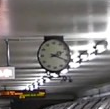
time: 2:18
